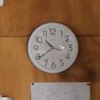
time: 10:39
